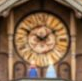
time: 1:50
